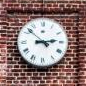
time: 2:52
